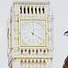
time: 12:20
